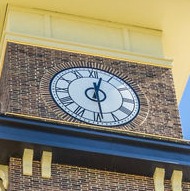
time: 12:28
